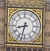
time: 8:32
